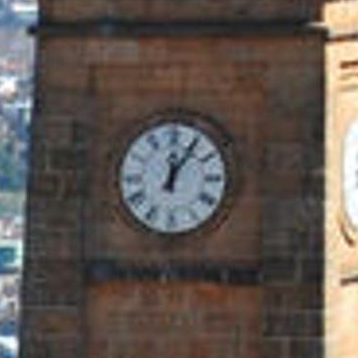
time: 12:05
